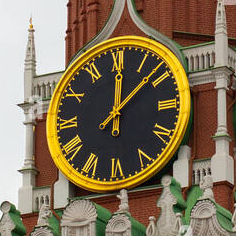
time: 12:08
